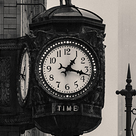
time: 1:17
